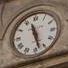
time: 11:27
